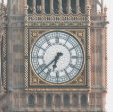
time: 6:38
